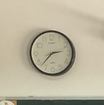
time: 2:37
